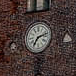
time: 7:12
